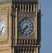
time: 7:37
